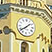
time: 1:39
